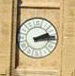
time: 2:14
